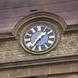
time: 1:34
